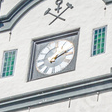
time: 2:11
